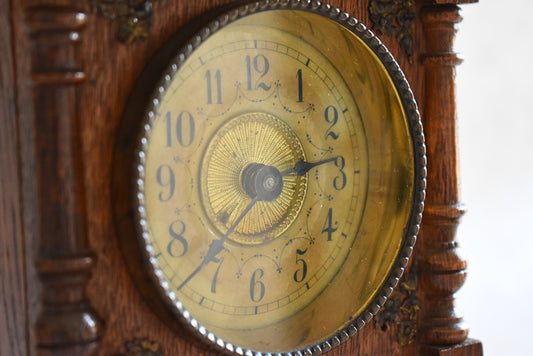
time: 2:37
